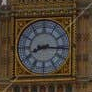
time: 8:16
